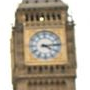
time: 4:13
